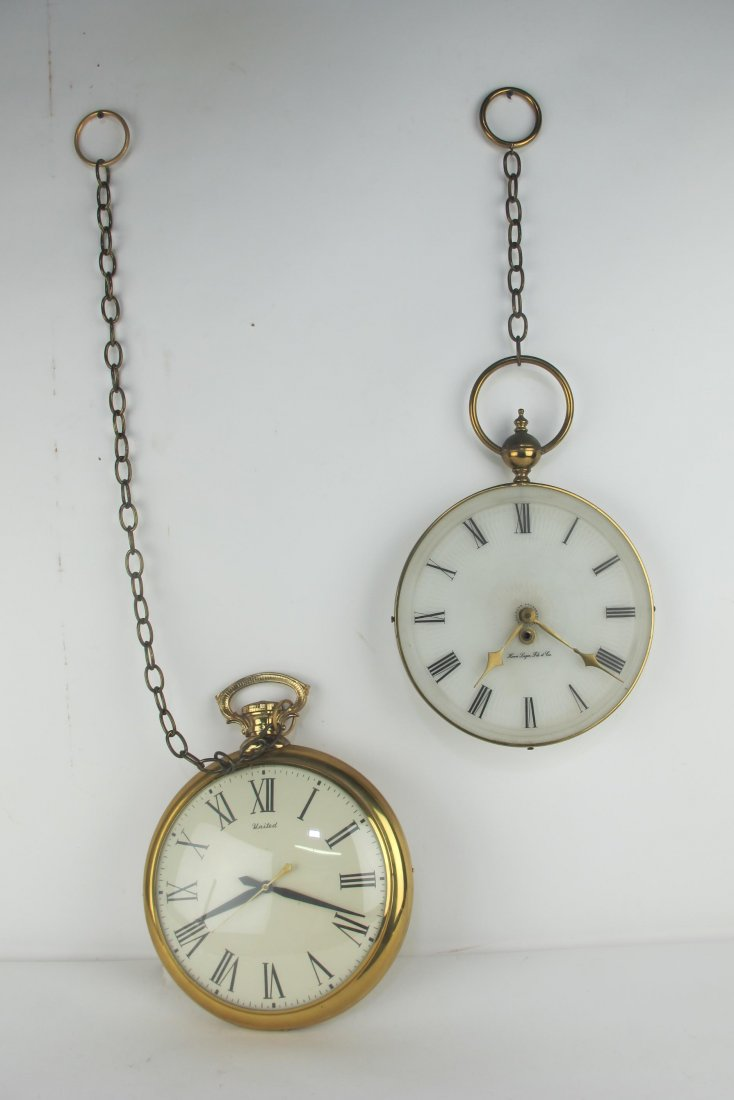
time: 7:20
